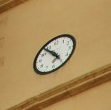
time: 4:53
